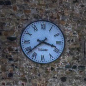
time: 3:38
